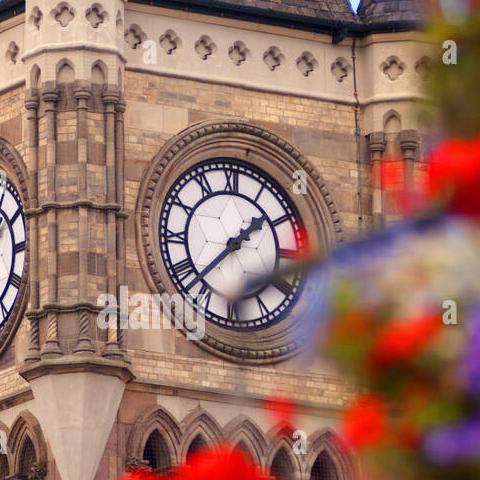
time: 1:37
